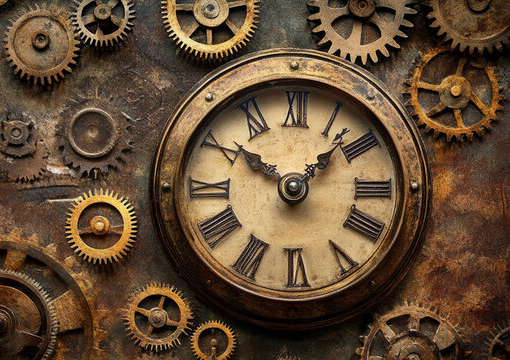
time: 10:07
